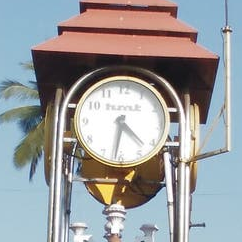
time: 4:31
